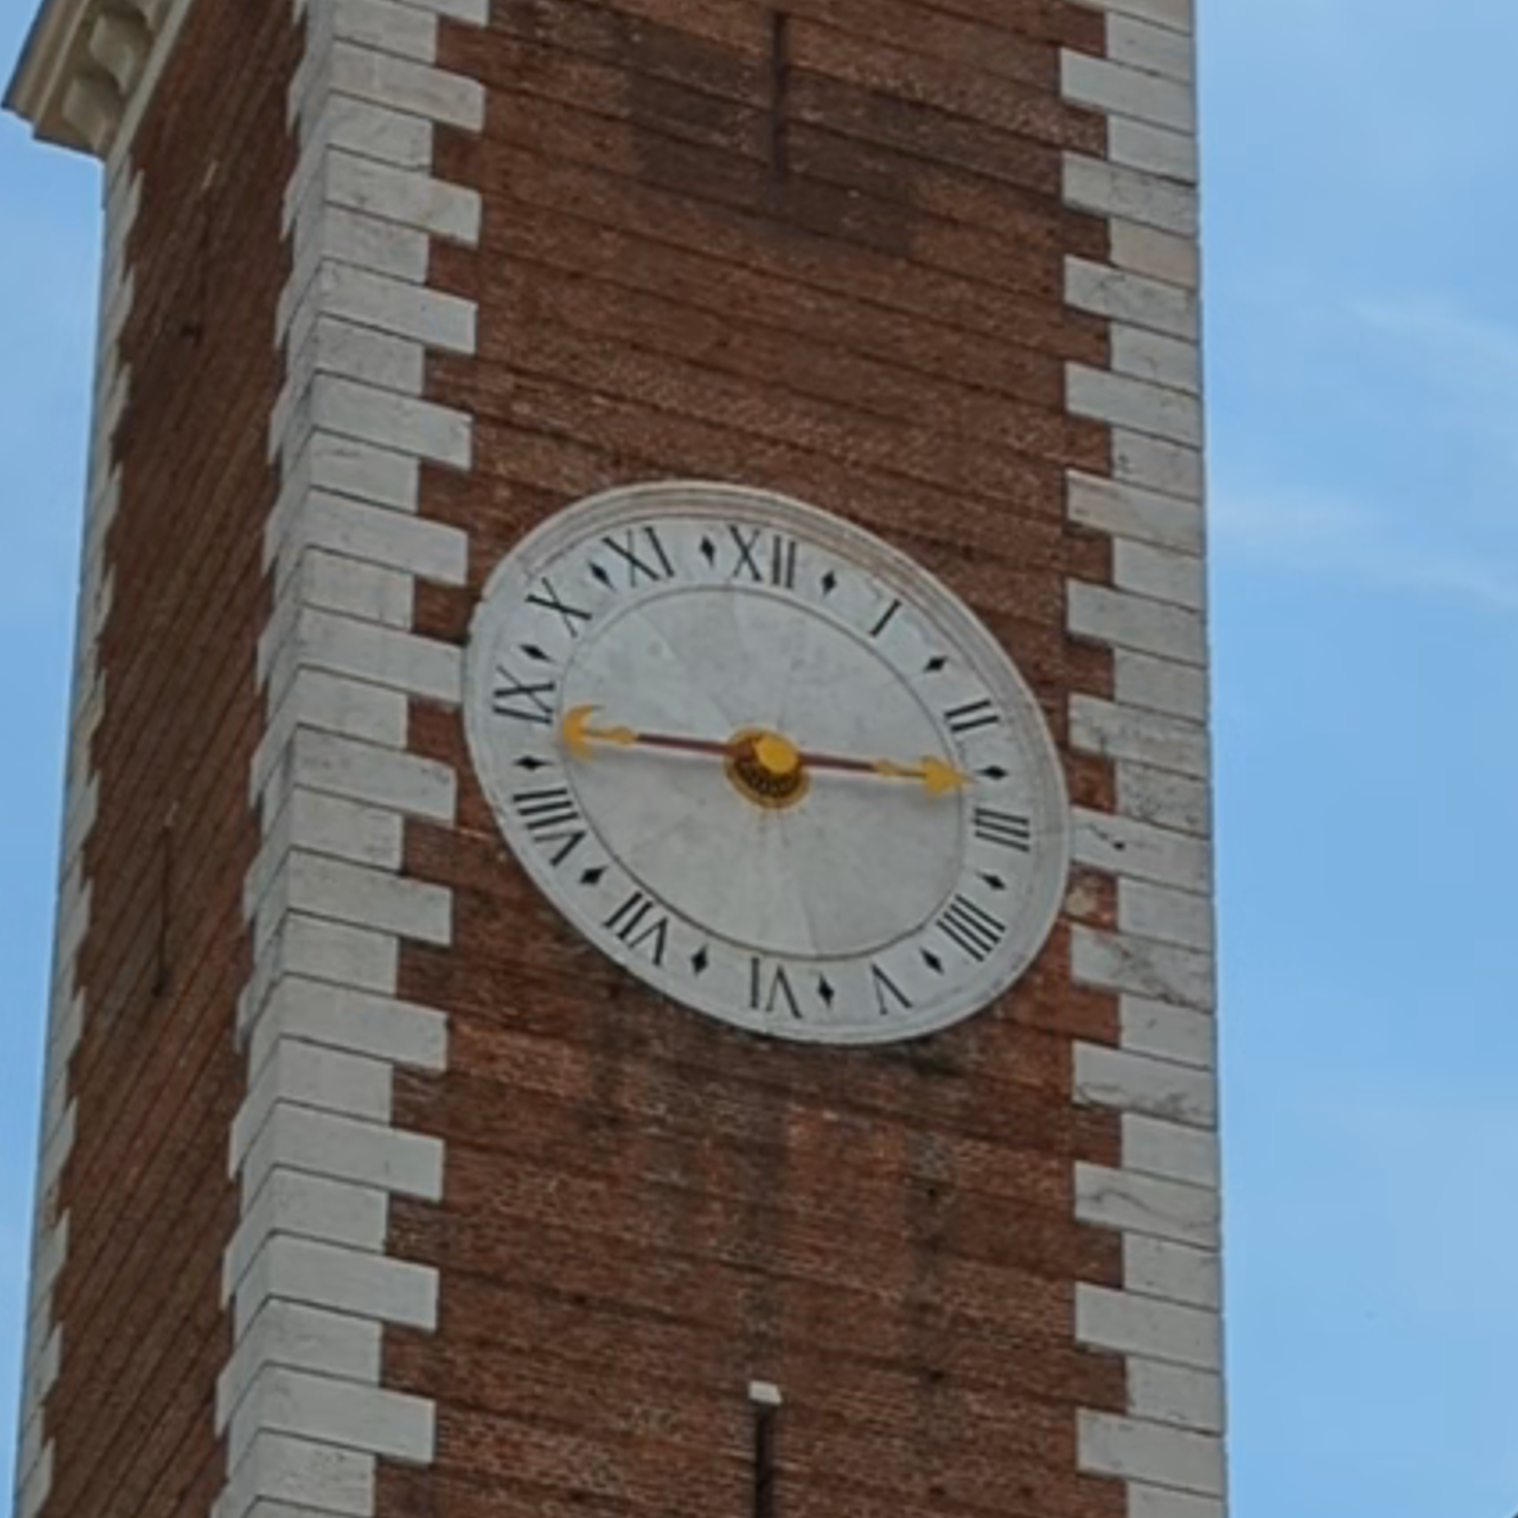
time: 2:43
